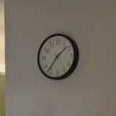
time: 1:36
